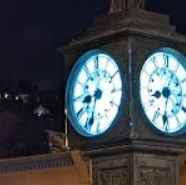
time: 8:33
